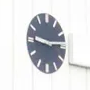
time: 9:14
